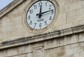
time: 12:13
